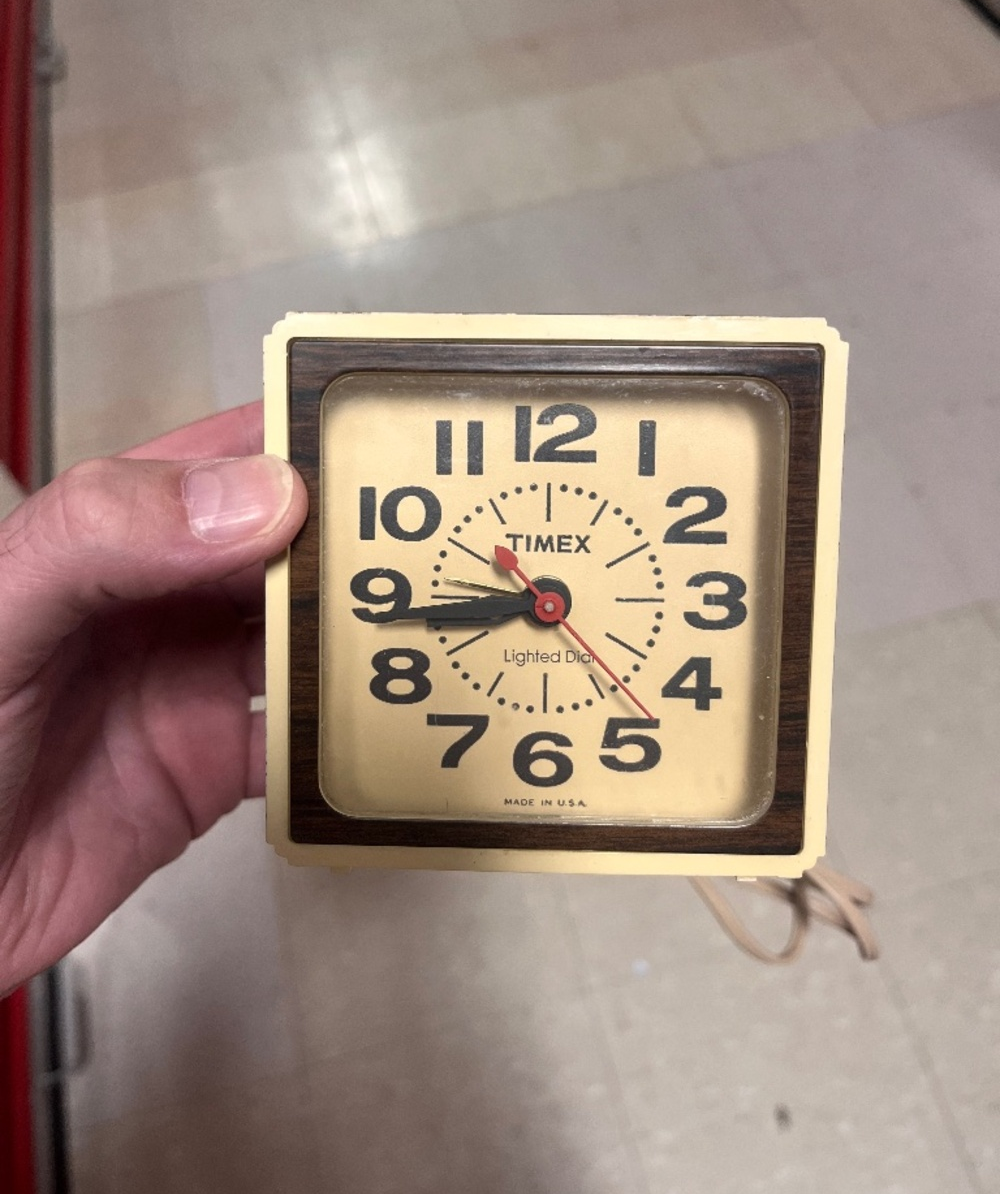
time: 8:43
